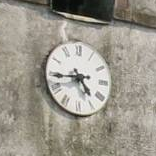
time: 4:44
